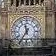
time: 11:35
